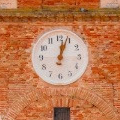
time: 12:03
